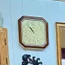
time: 10:53
